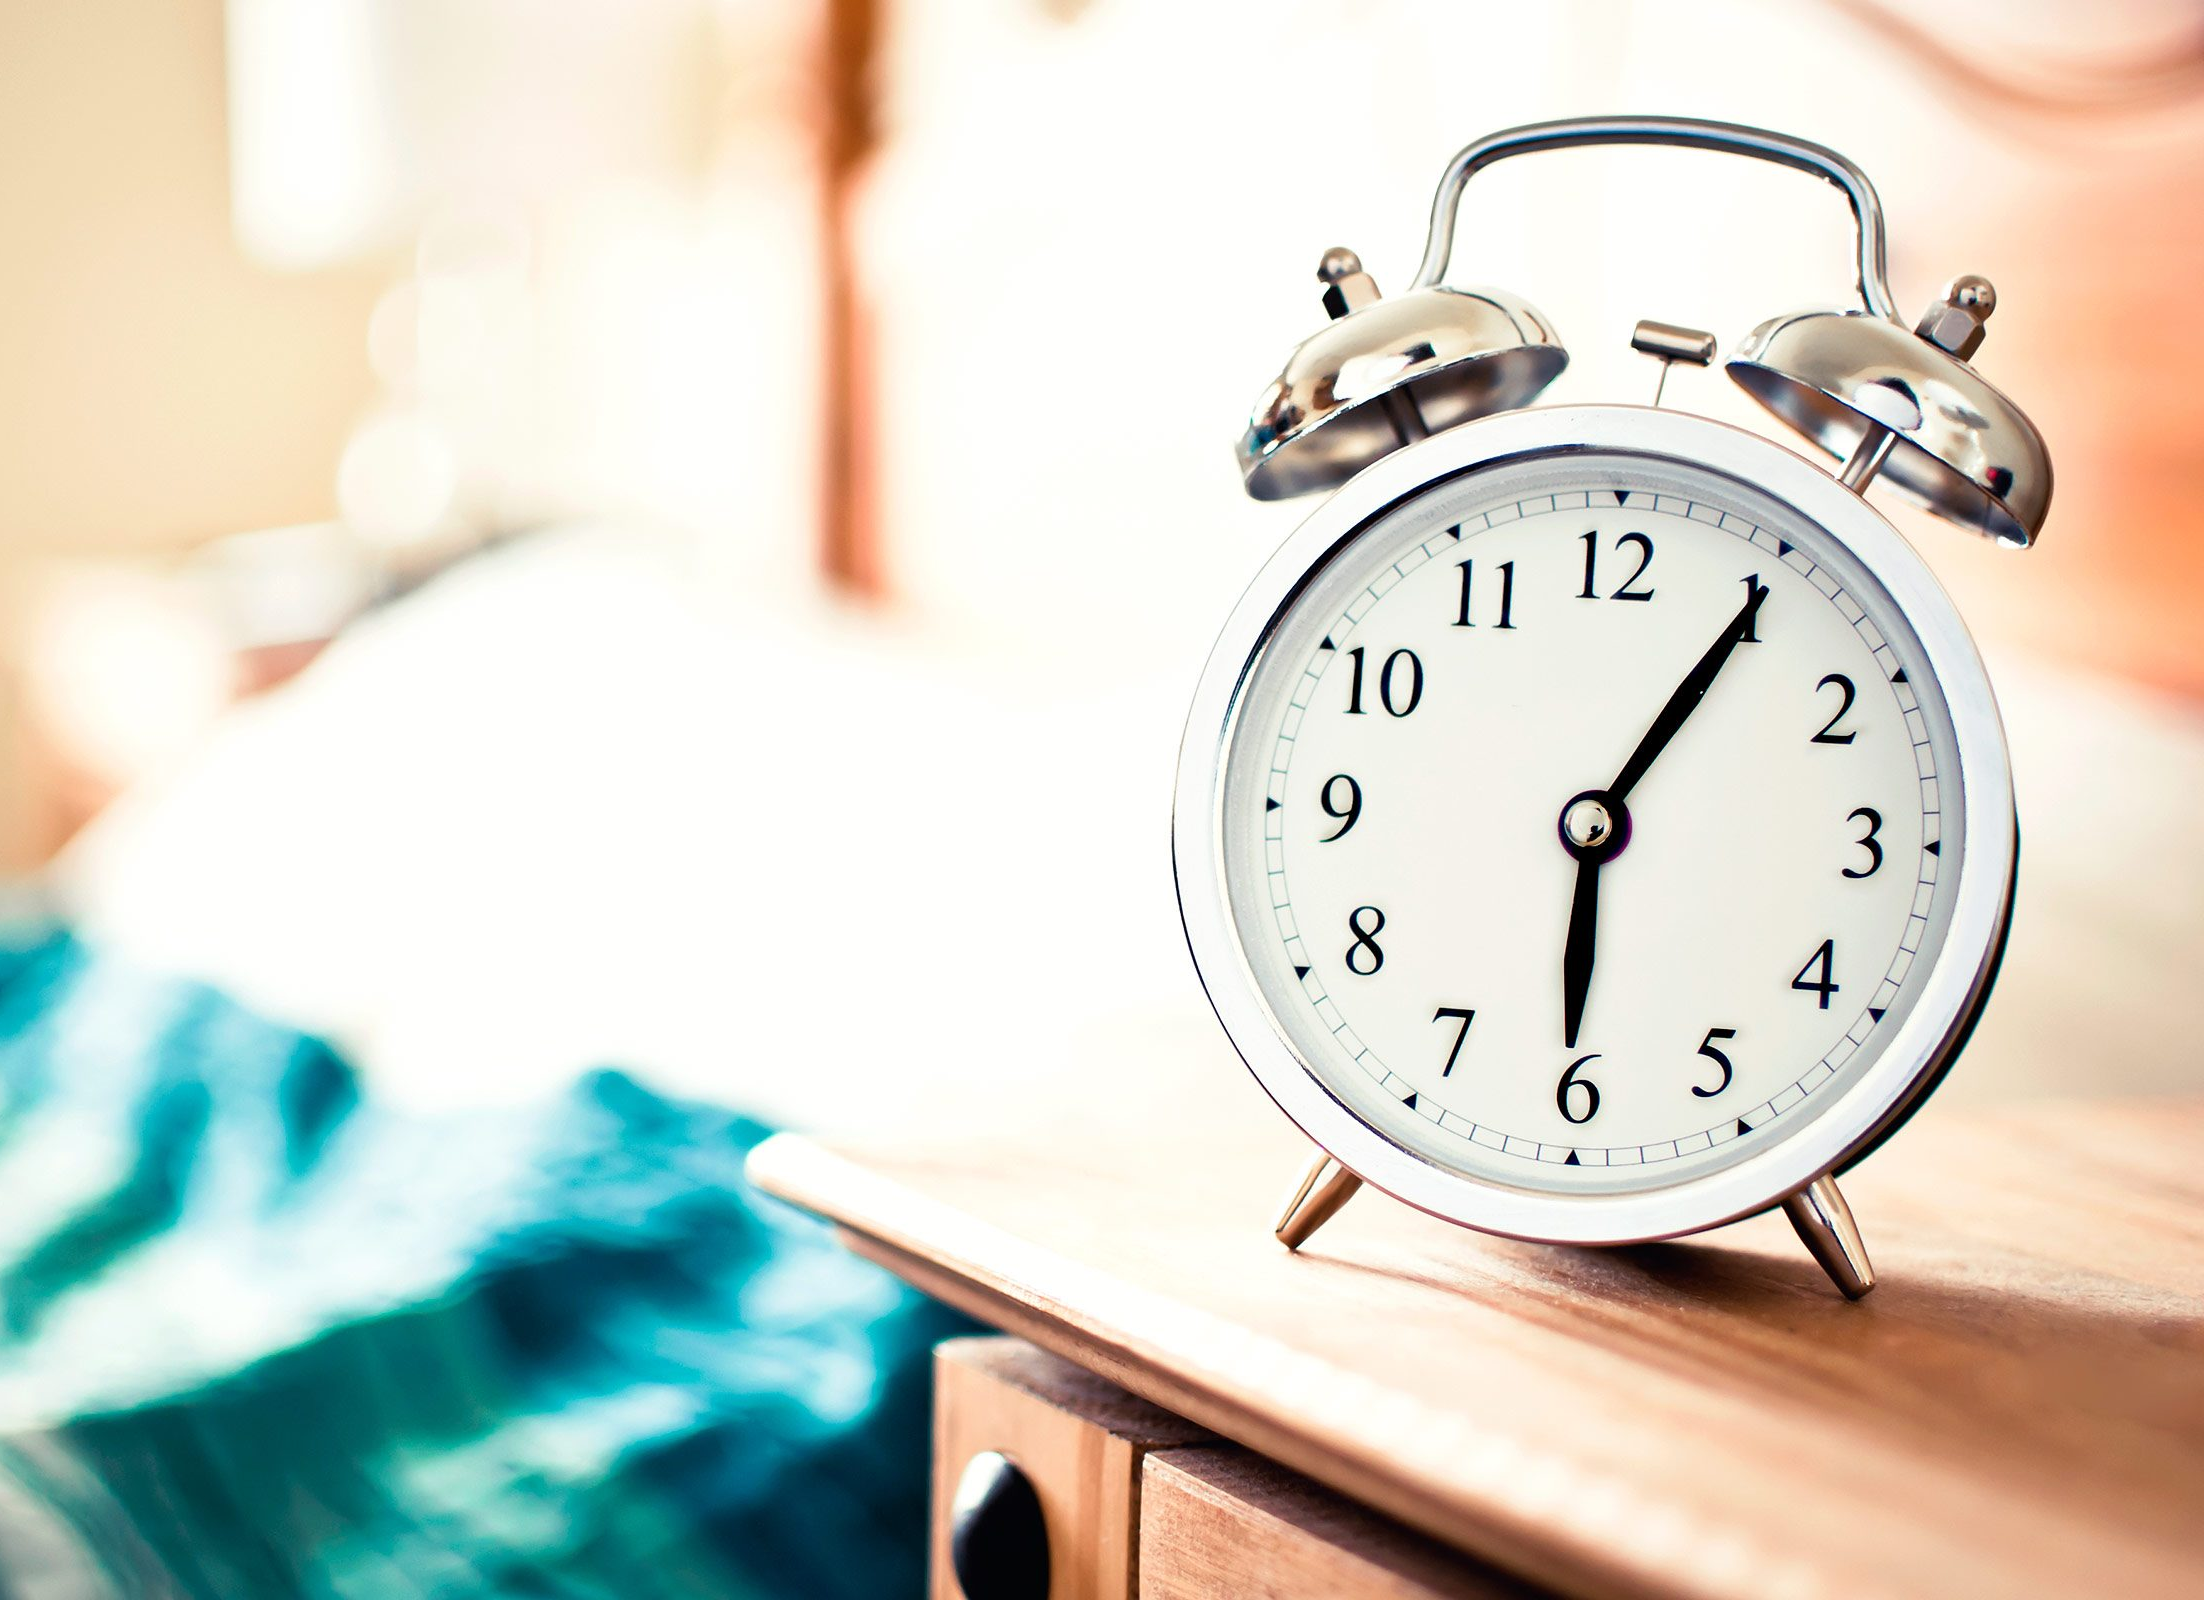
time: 6:05
